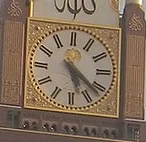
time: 5:21
